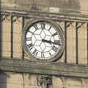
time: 3:16
